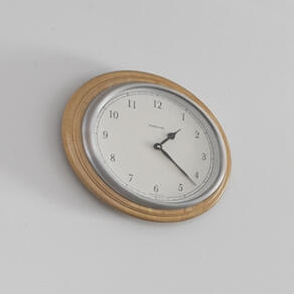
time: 1:21
